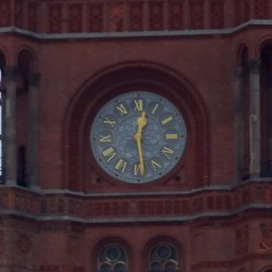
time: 12:28
